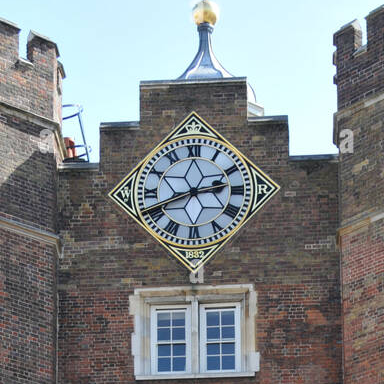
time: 2:41
